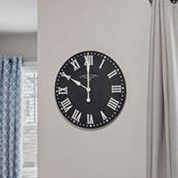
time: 9:59
